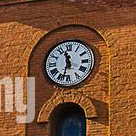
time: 11:32
